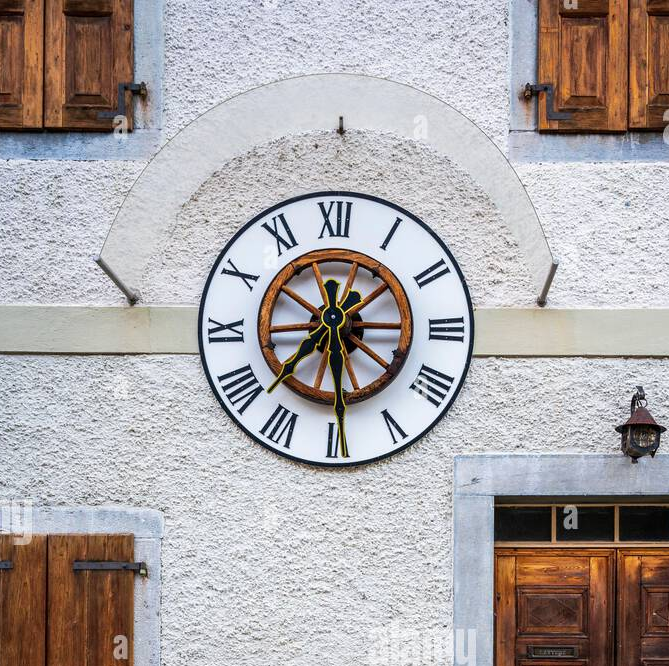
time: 7:29
